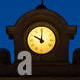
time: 10:00
